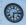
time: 6:13
